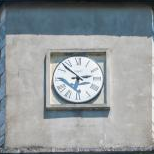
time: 2:52
